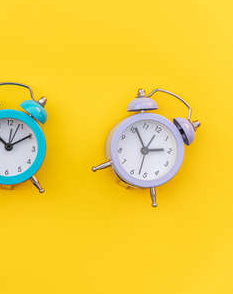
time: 2:56
